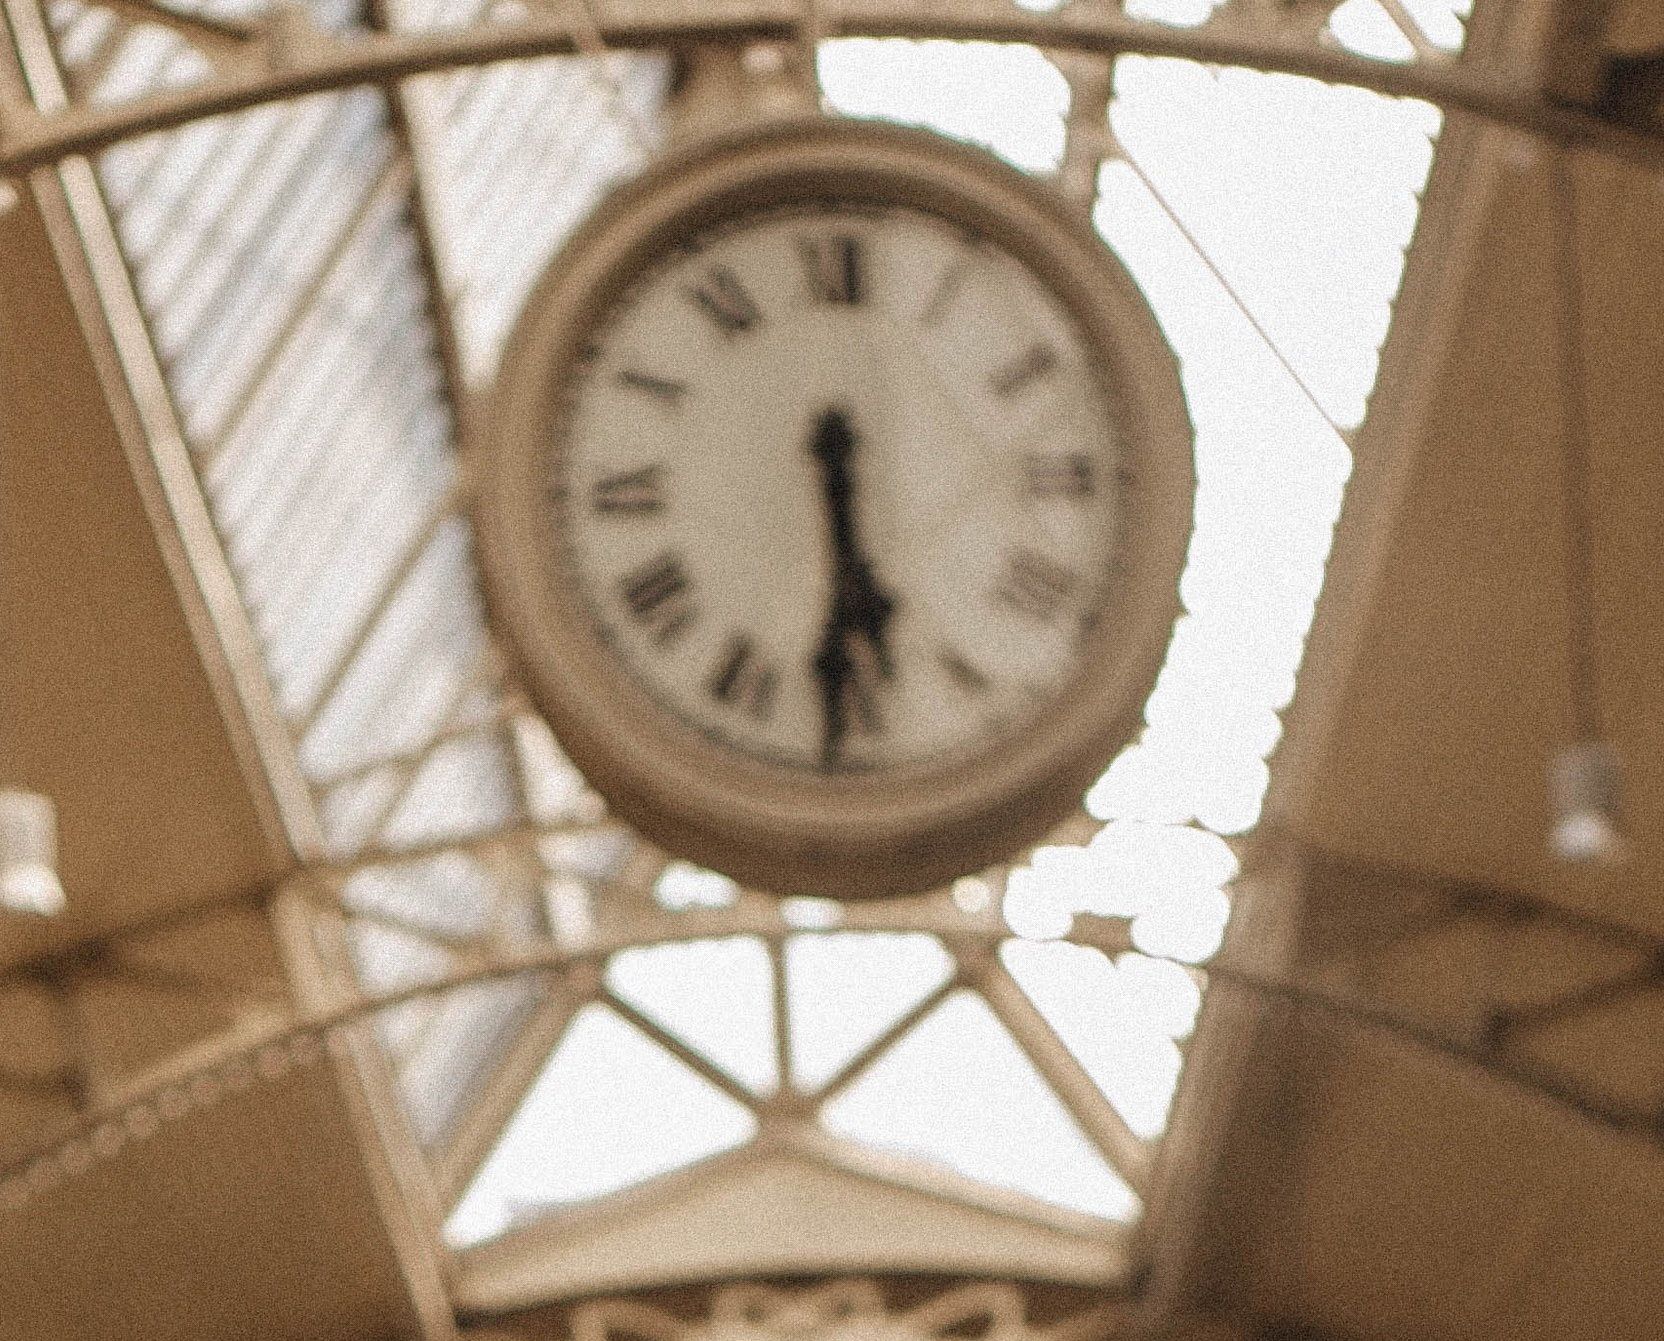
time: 5:30
